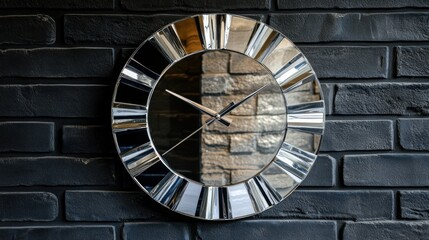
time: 1:50
